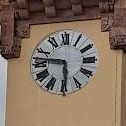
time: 5:46
